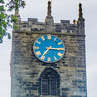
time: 7:15
